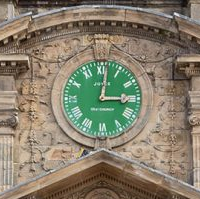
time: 3:01
